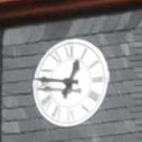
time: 12:46
